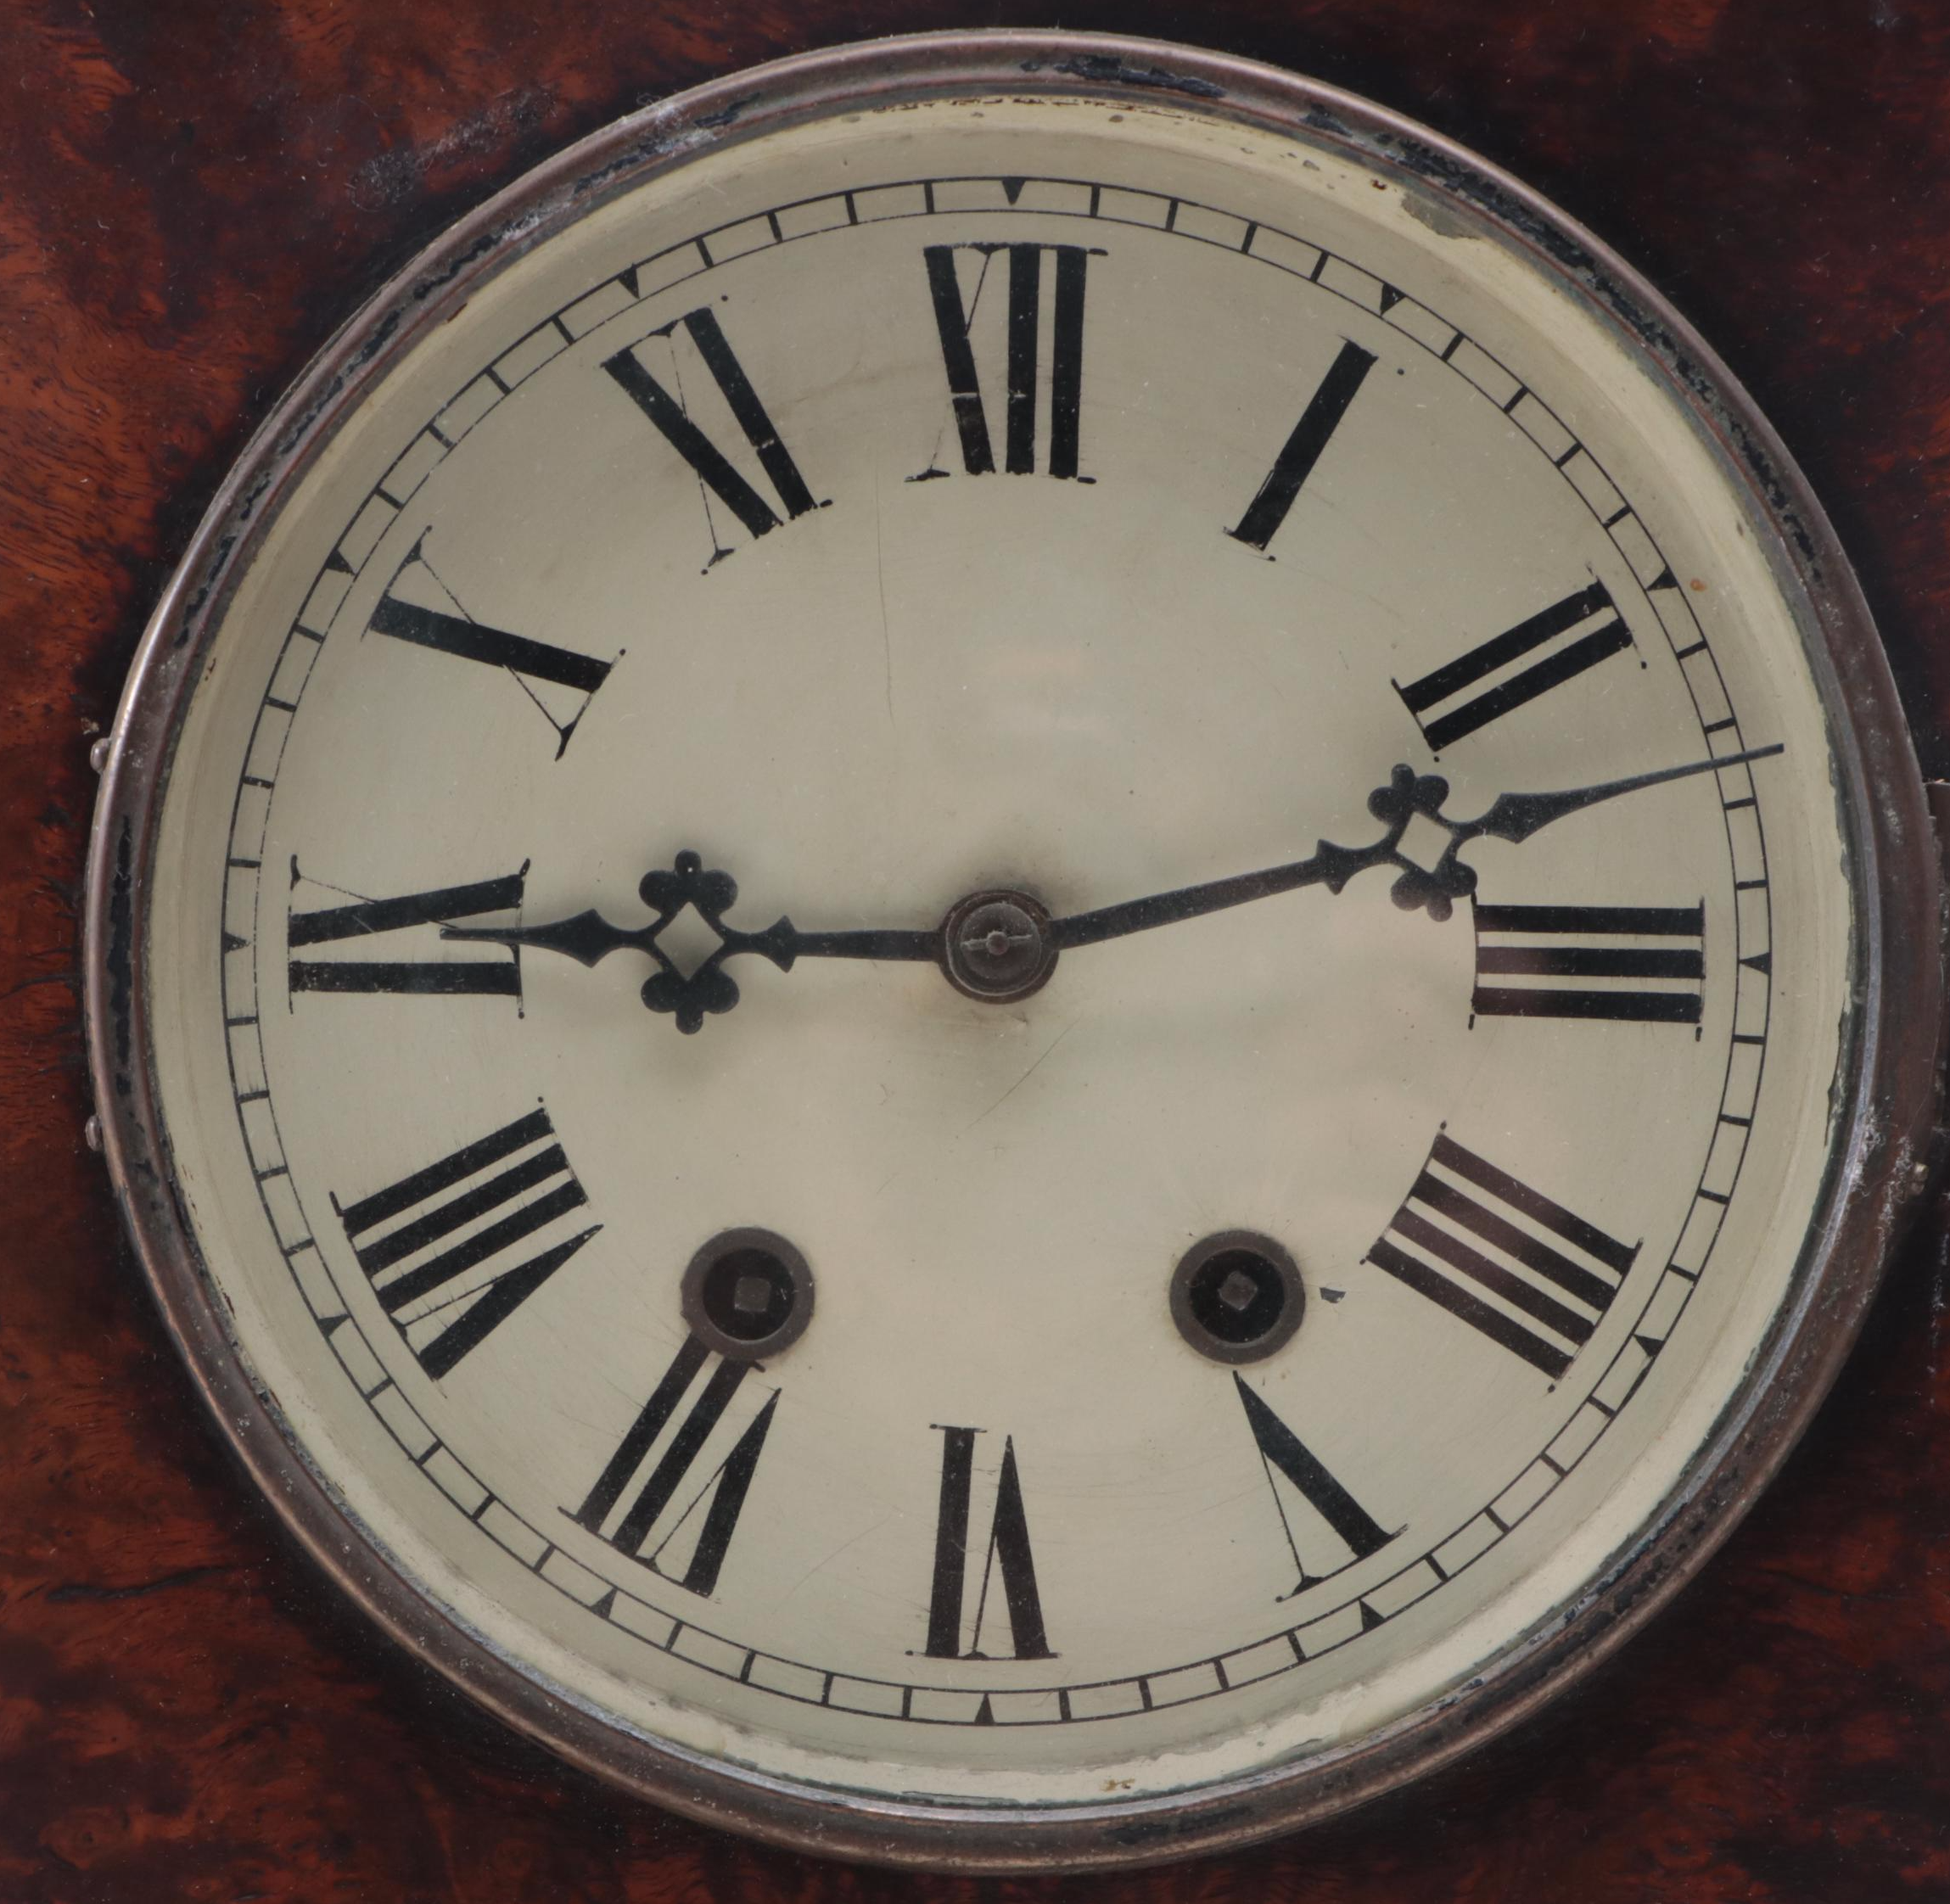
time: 9:12
